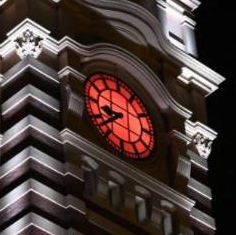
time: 8:38
